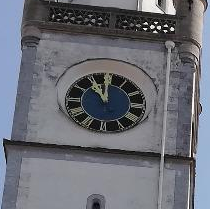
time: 10:59
